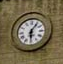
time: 6:06
